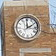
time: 1:59
